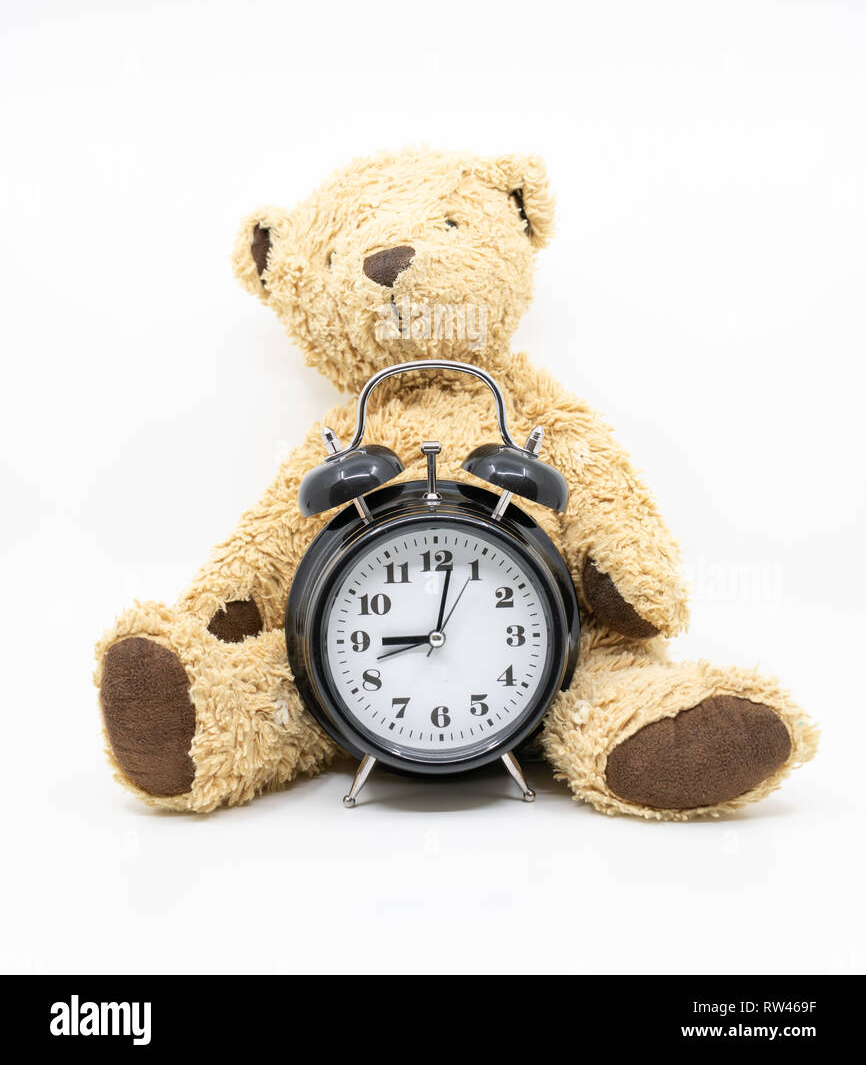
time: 9:01
